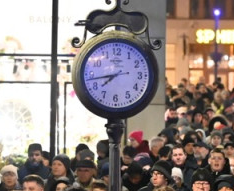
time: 7:43
